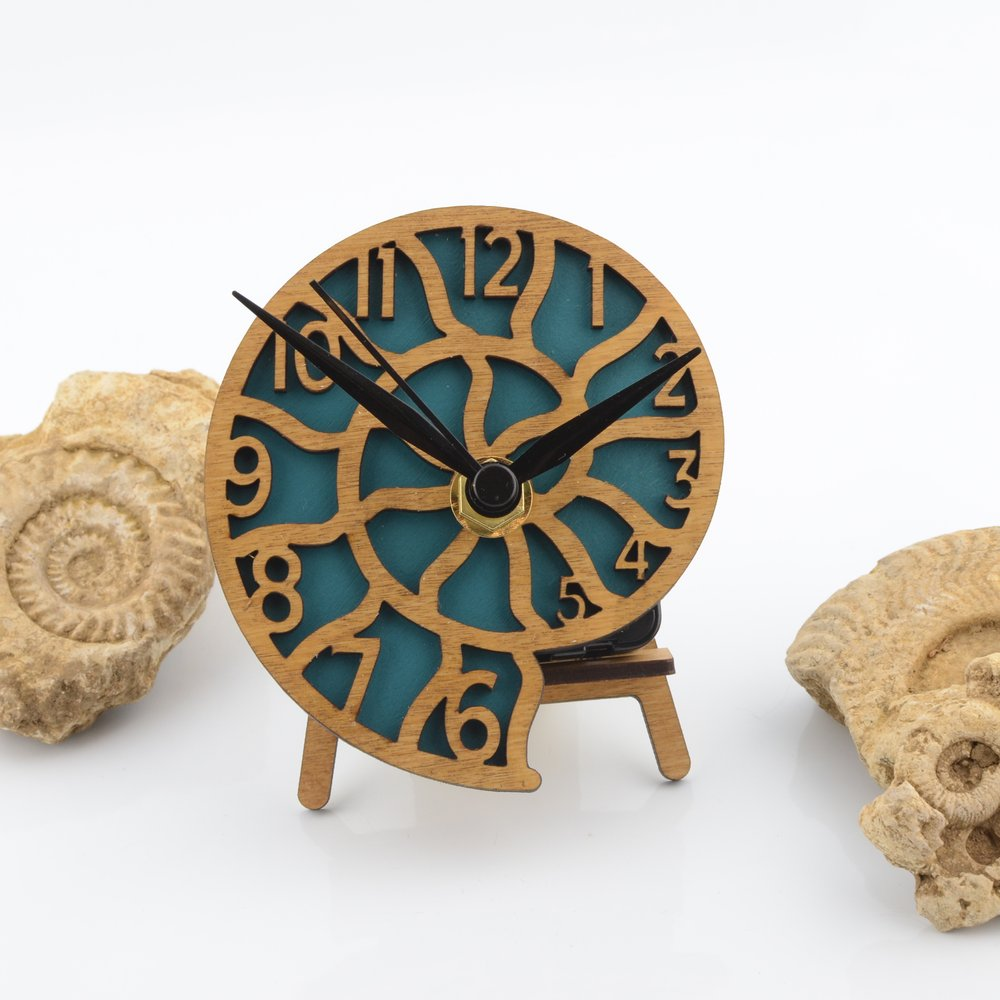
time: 1:50
